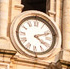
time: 4:11
